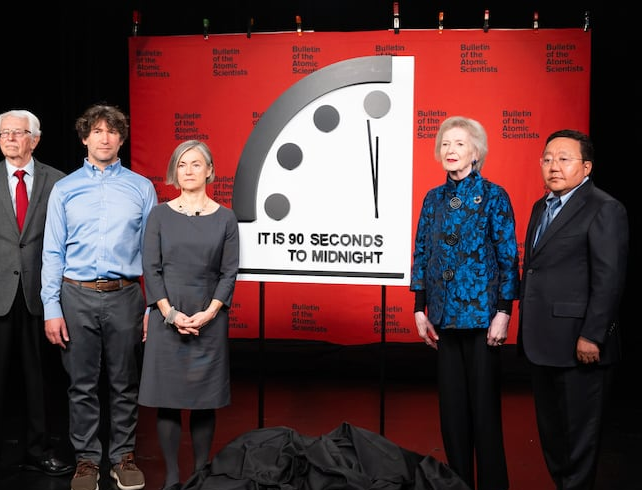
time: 11:58
